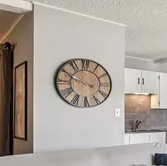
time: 3:49
